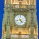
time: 4:42
